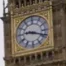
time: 9:18
